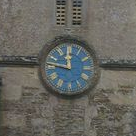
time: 11:46
